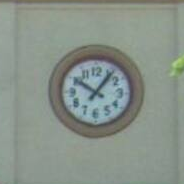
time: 10:06
